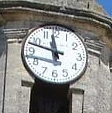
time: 11:47
